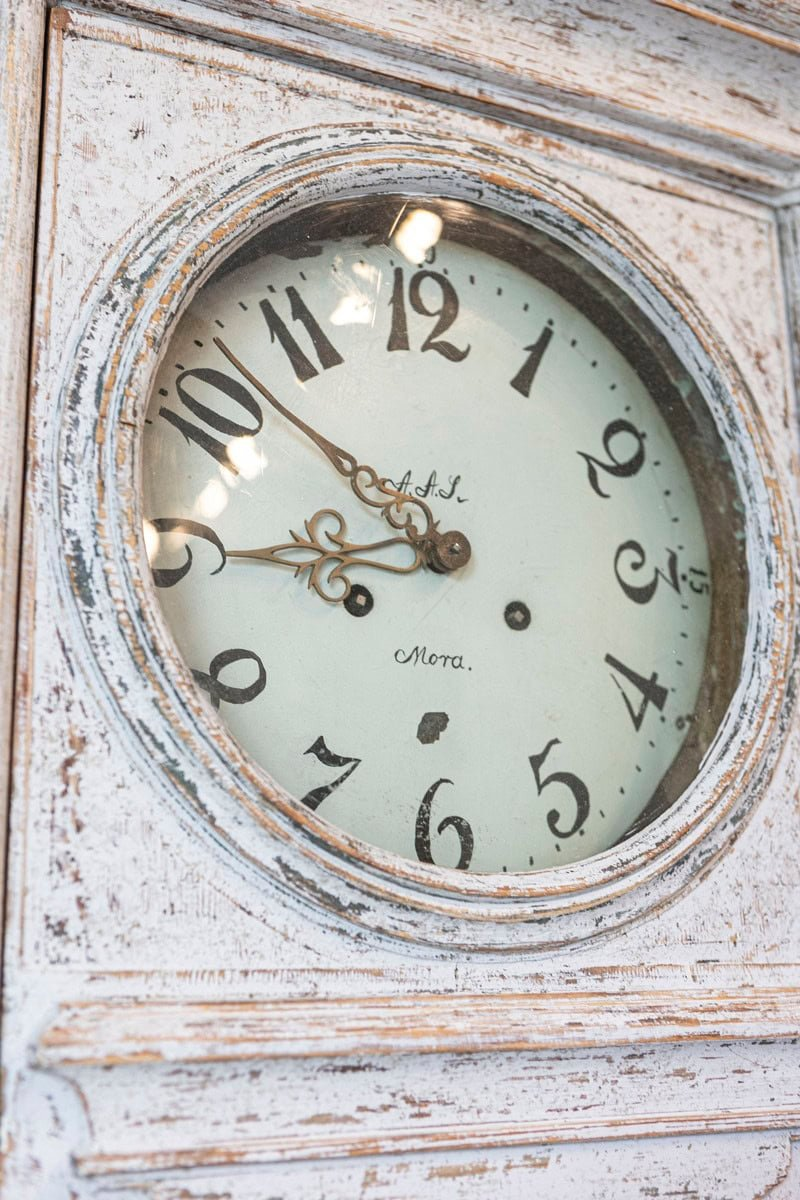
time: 8:51
